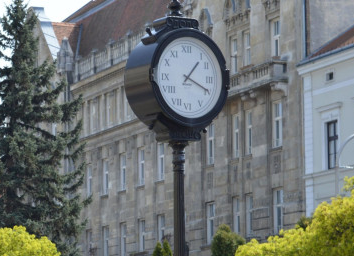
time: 1:18
